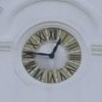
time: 12:46
